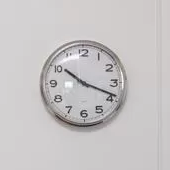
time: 10:18
